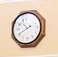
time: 10:40
